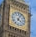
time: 4:04
